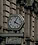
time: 4:04
